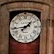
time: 1:43
